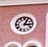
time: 3:04
